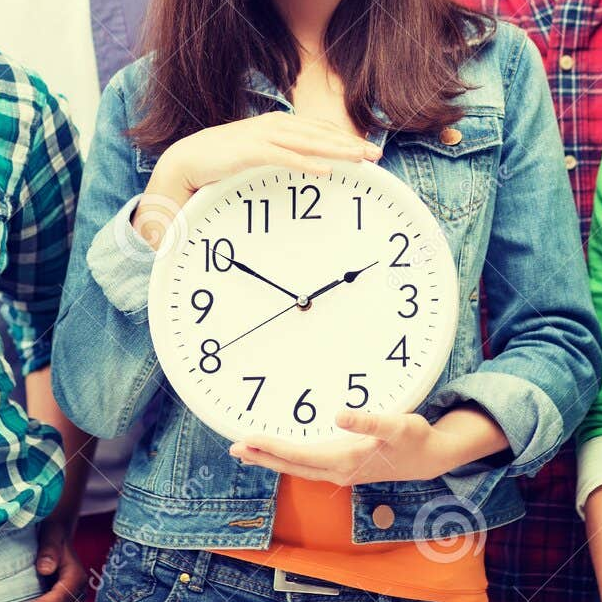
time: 1:50
